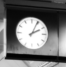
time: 2:04
